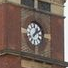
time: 1:09
